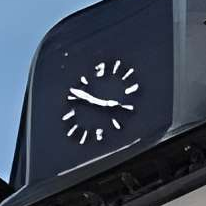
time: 2:48
